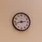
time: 2:42
